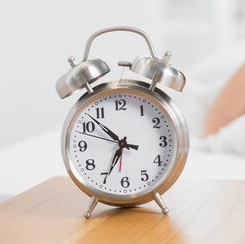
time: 6:52
